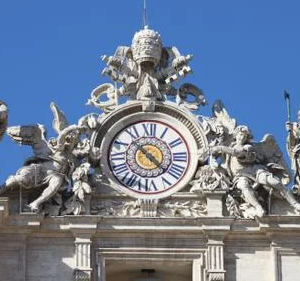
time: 4:22
